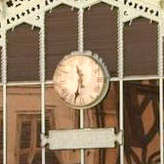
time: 11:32
